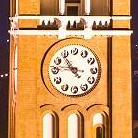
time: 10:46
